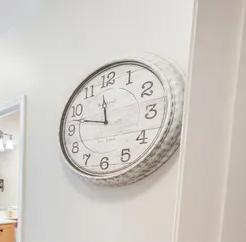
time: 11:47
